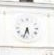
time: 5:33
